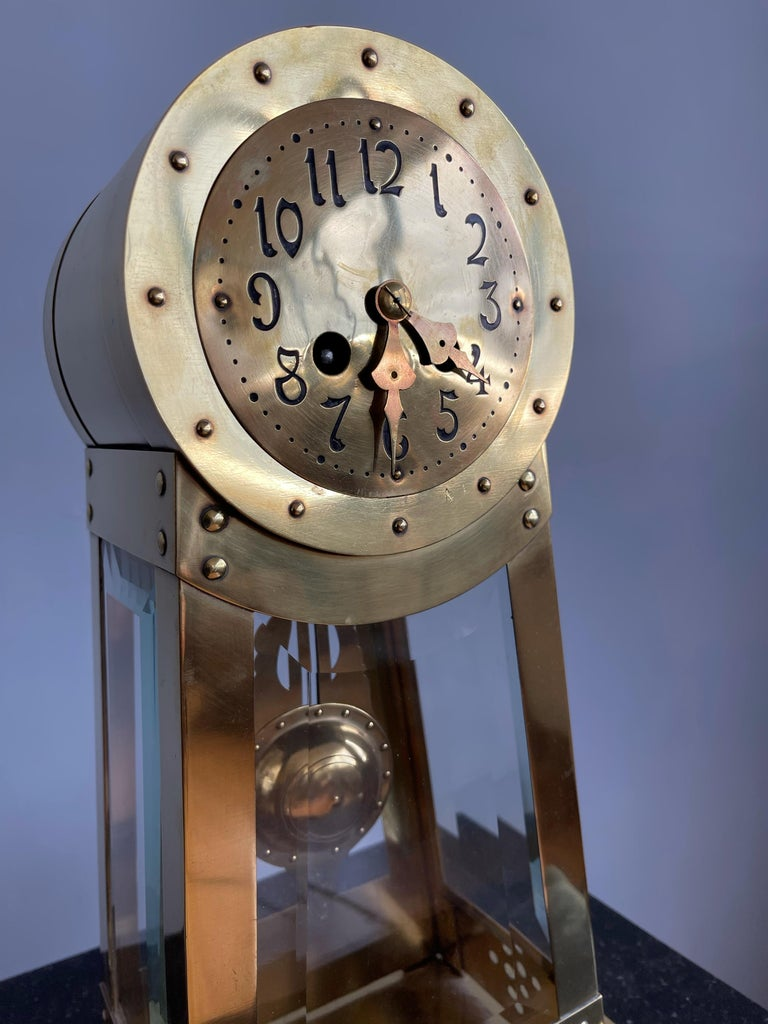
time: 4:31
